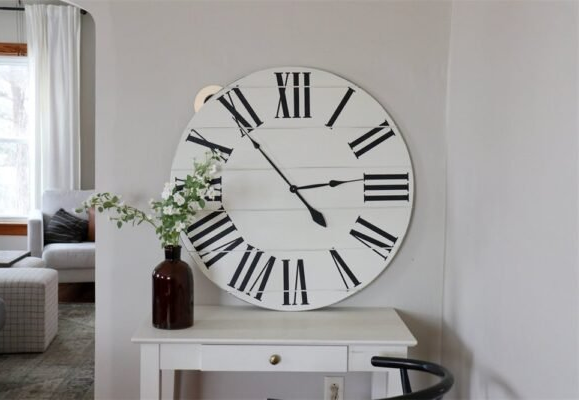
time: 2:53
